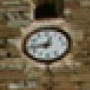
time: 12:43
